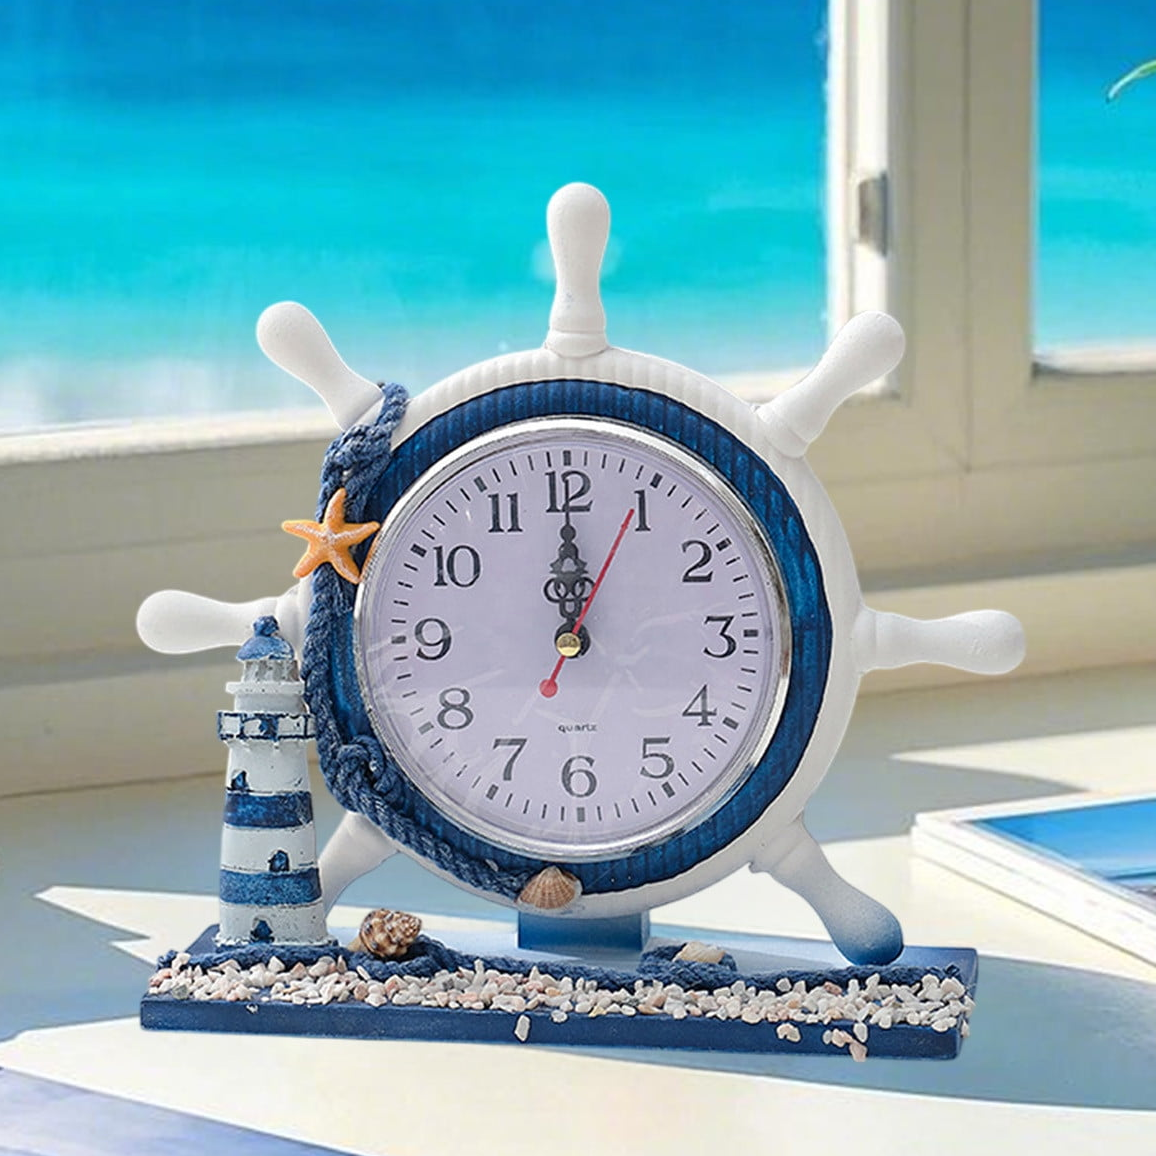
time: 11:59
